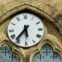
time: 5:36
